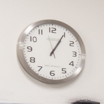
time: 1:04
